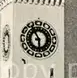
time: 5:55
